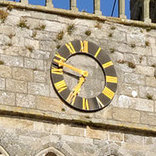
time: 9:34
